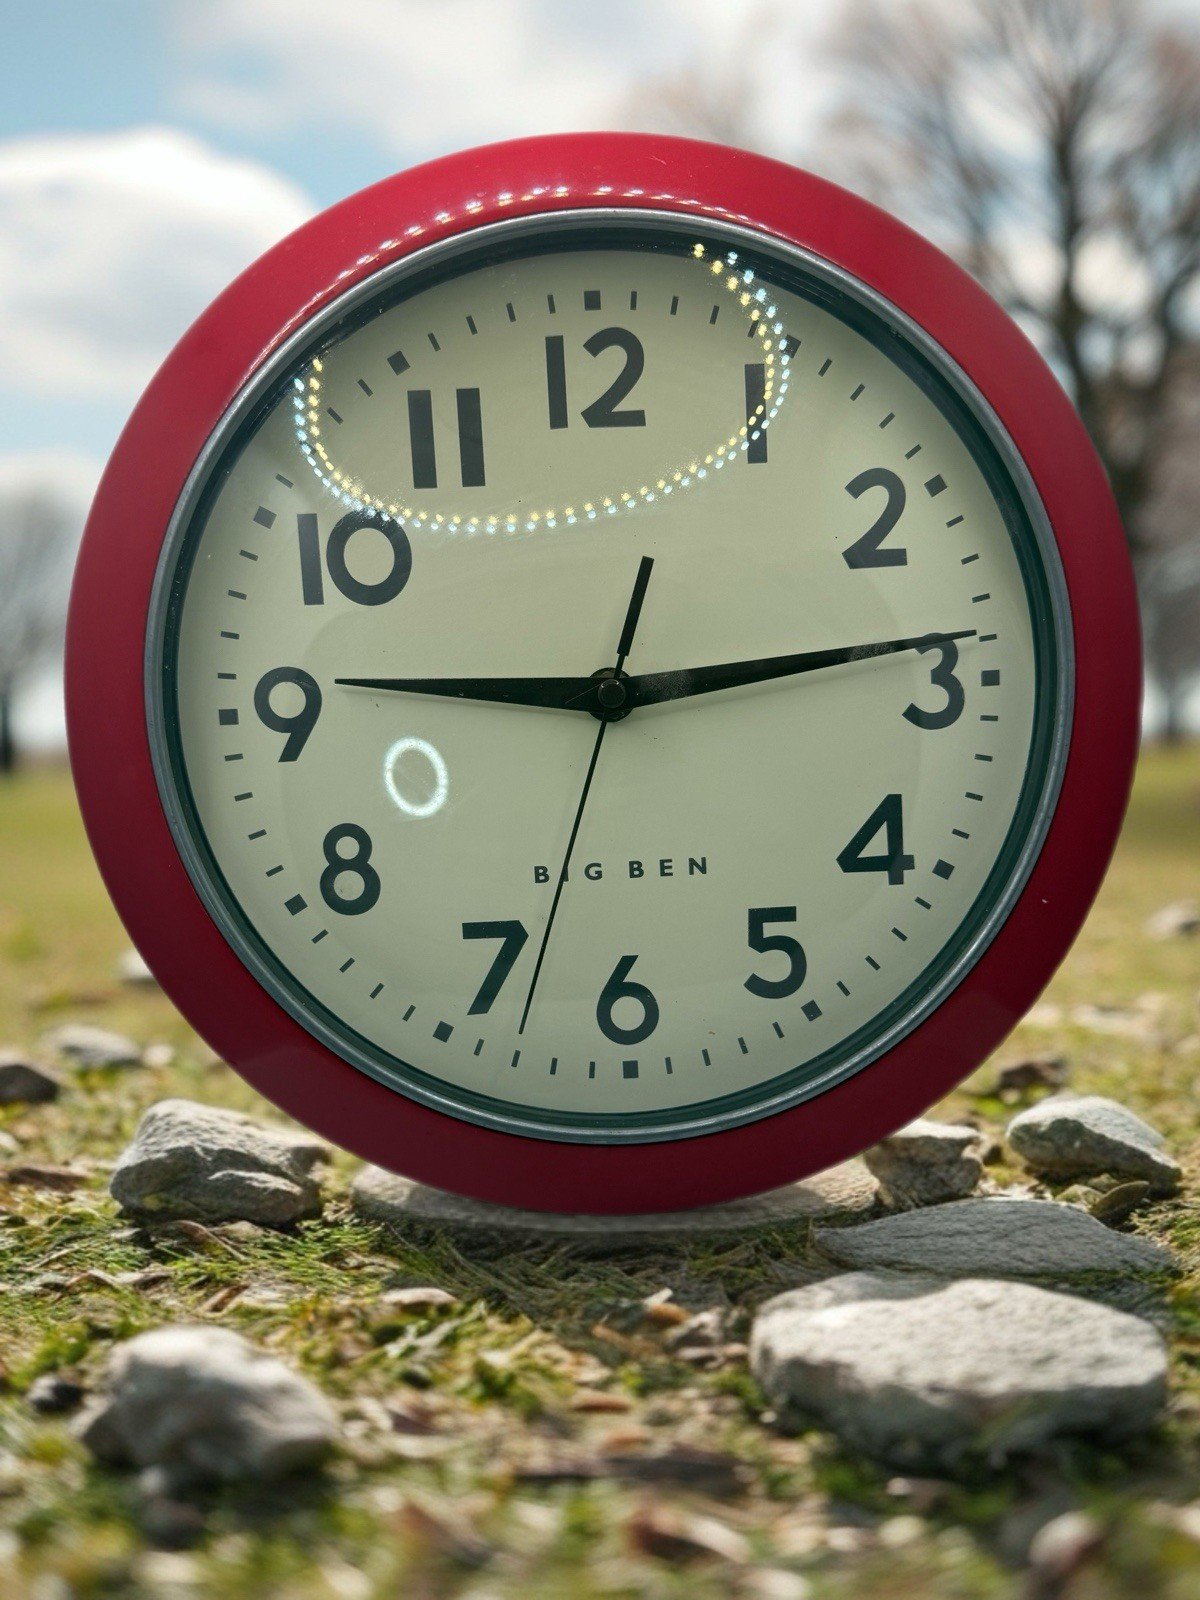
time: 9:13
